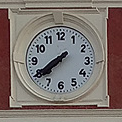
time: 7:39
